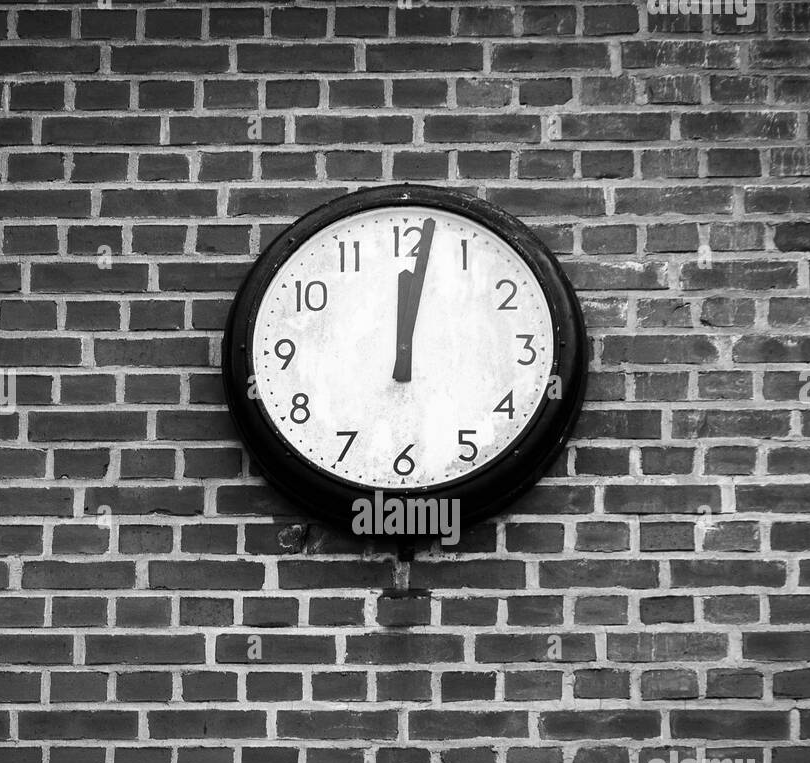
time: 12:01
